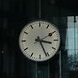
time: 3:26
